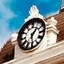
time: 1:29
